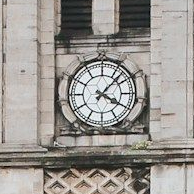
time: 4:07
